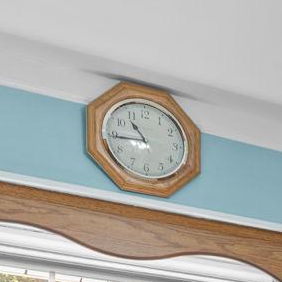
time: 10:44
